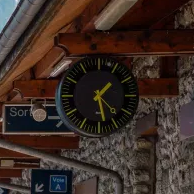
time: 1:28
